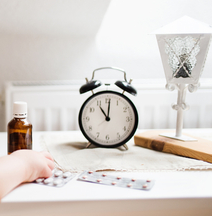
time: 11:01
